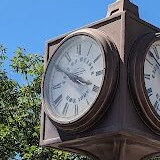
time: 3:50
